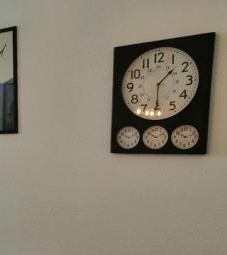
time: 1:30
